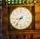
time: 8:36
